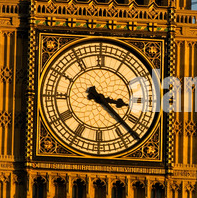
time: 3:22
